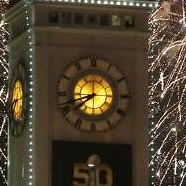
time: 7:42
